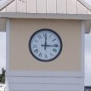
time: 12:16
